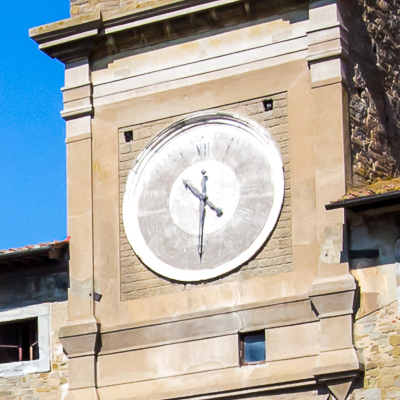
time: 10:30
